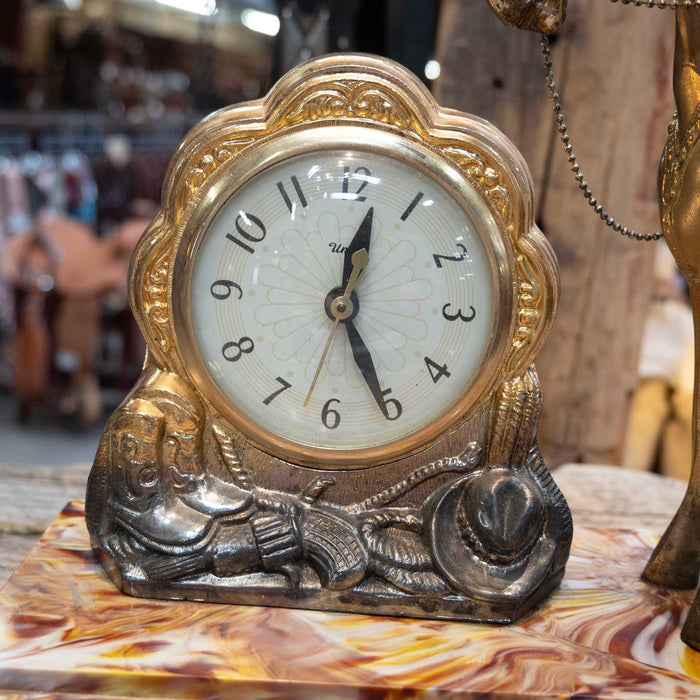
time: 12:25
